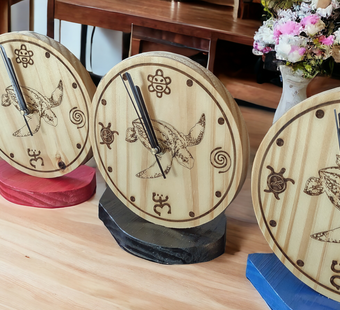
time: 10:56
